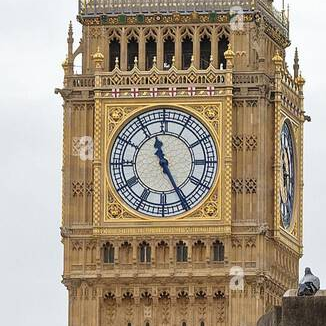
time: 11:25
